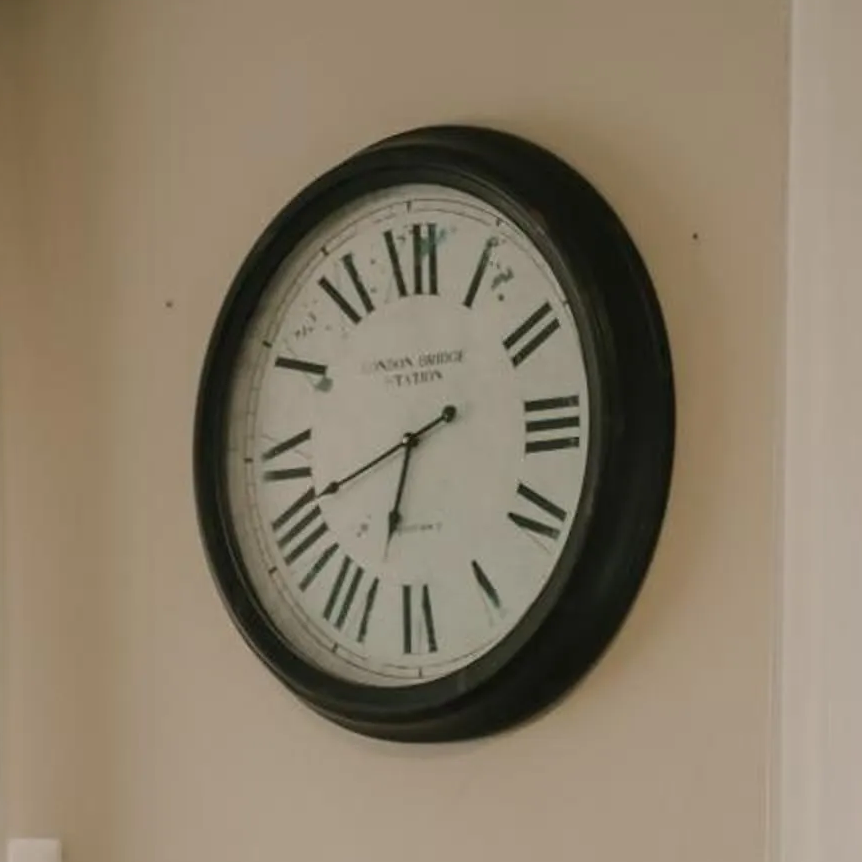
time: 6:41
